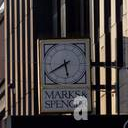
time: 5:40
